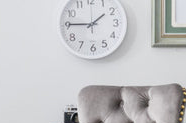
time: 1:45
